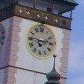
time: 9:12
